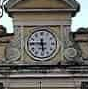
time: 5:45
